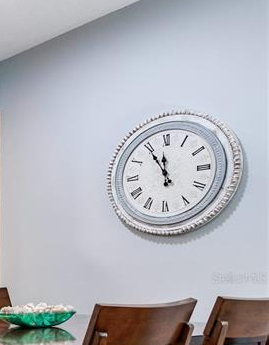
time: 11:54
